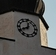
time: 12:40
